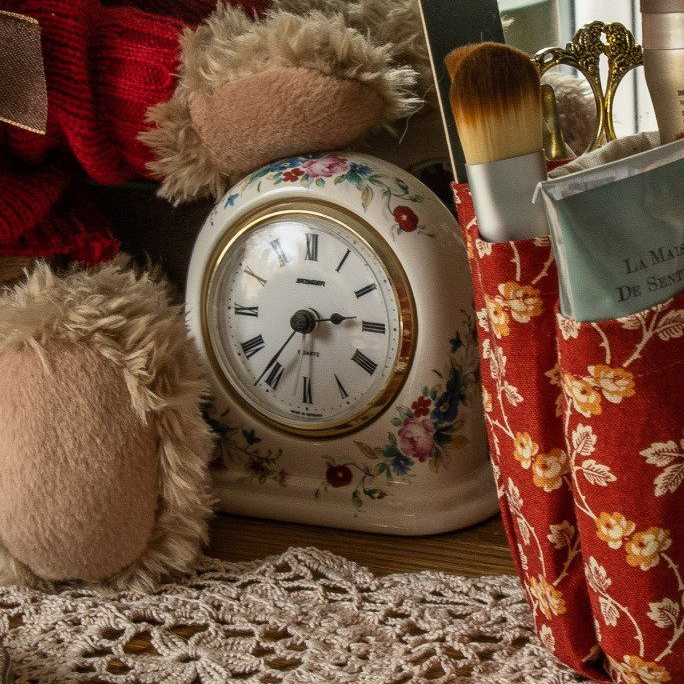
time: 2:36
